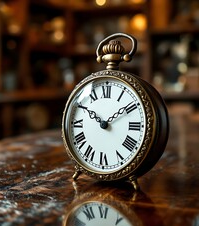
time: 1:50
